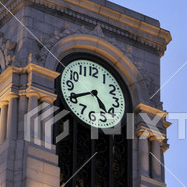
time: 4:40
